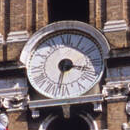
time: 3:32
